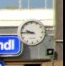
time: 9:45
